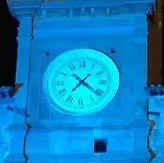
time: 7:21
